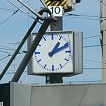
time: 1:11
